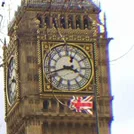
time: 3:42
